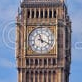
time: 11:18
